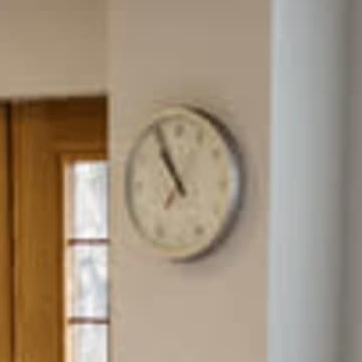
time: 10:55
